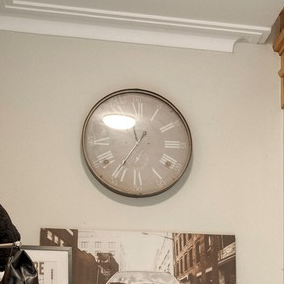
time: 11:35
